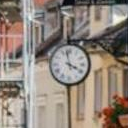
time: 3:58
